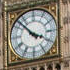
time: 3:52
